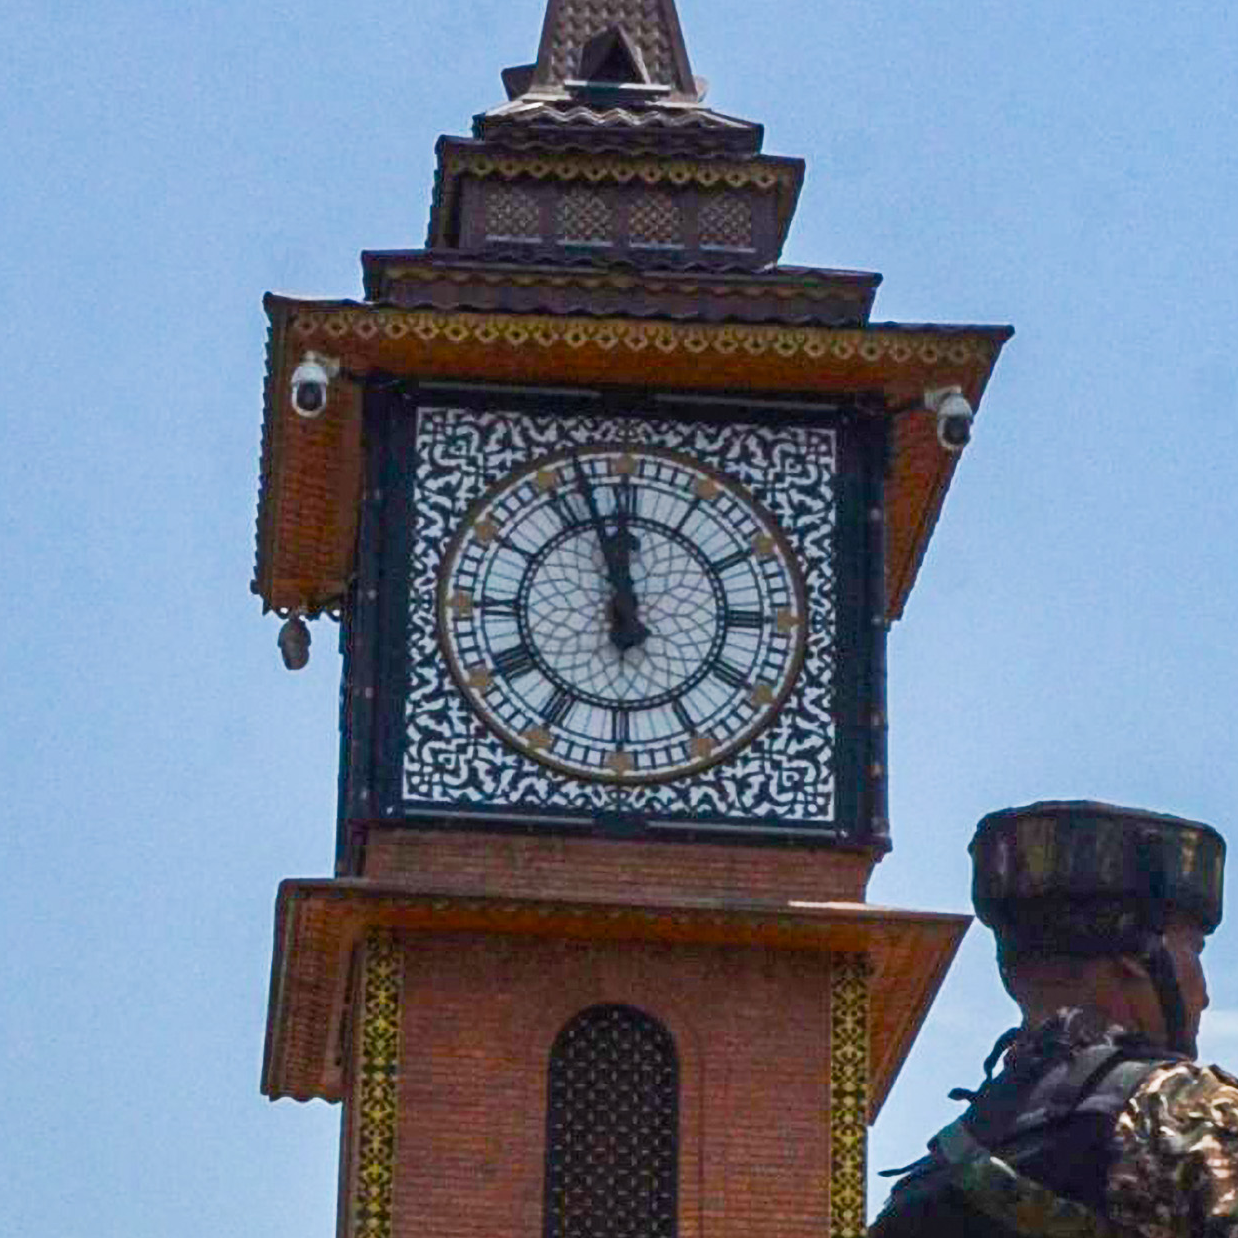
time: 11:57
